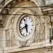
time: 5:41
